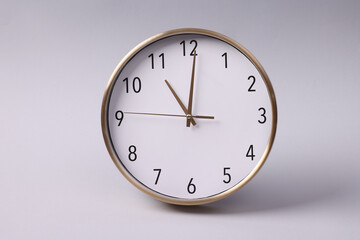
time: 11:00
